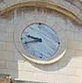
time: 9:42
